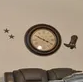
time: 3:49
